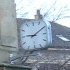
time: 9:09
